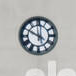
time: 10:00
